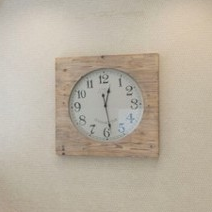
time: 12:28
